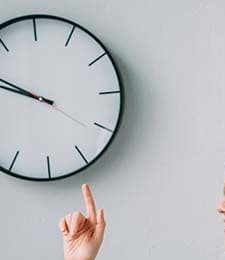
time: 9:50
